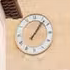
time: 1:06
